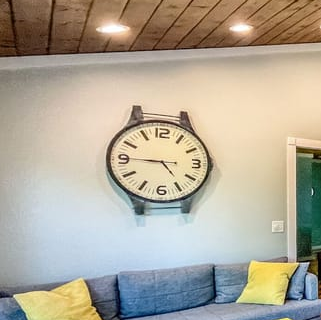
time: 4:45
